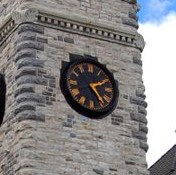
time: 2:24
